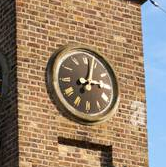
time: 3:02
